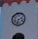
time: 2:32
